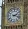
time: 2:18
